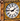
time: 1:46
